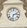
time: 2:32
